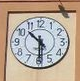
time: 10:30
